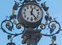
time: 12:23
